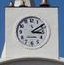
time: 3:09
